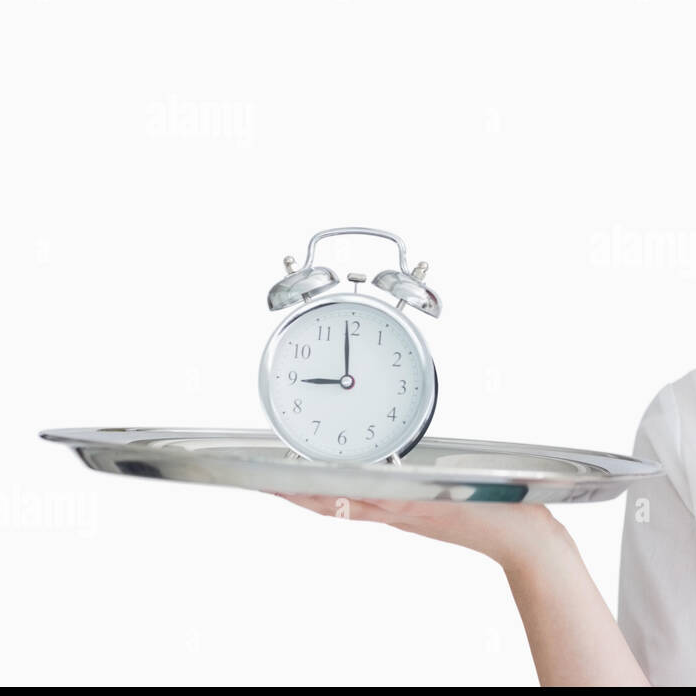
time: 8:59
